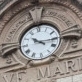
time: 10:15
